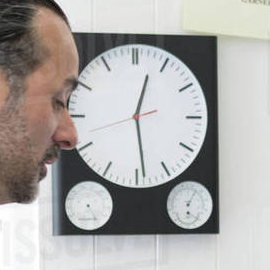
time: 12:28
